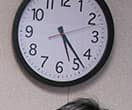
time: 5:23
